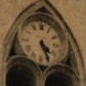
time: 4:26
